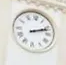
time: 2:11
